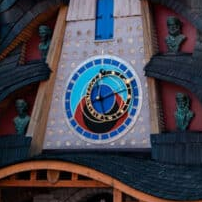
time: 8:12
